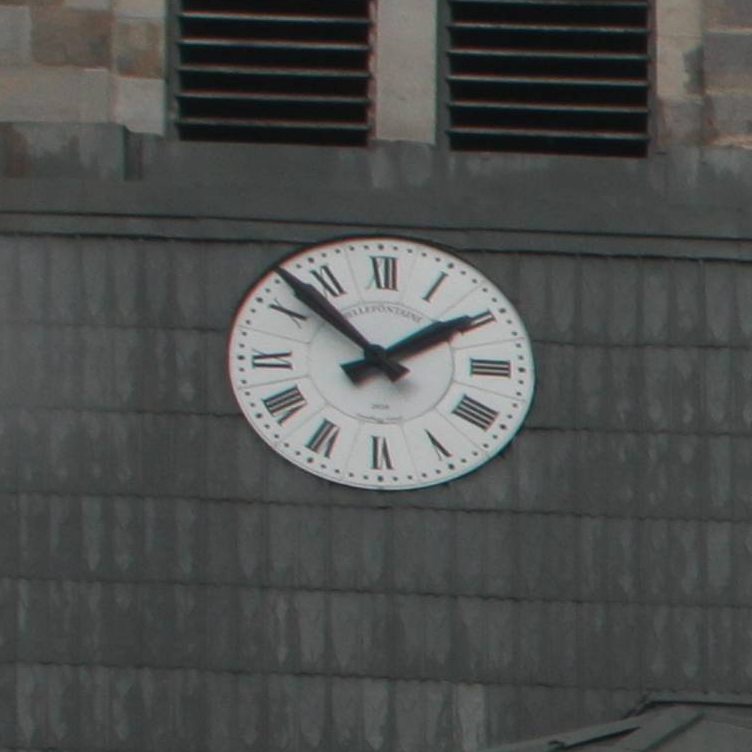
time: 1:52
